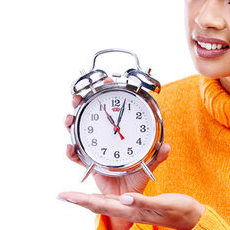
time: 11:03
